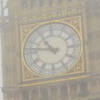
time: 10:46
